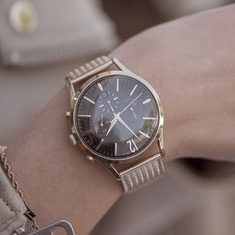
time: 7:22
